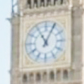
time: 11:04
